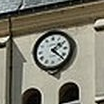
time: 1:22
